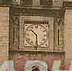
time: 10:30
